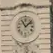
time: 11:07
